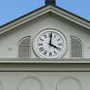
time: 4:01
